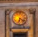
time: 6:21
